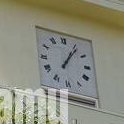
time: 1:06
